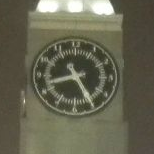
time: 8:25
